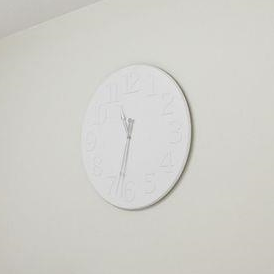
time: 11:32
